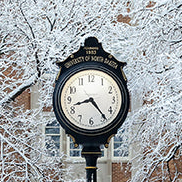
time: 8:23
